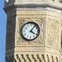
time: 4:06
